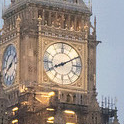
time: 8:10
